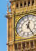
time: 12:24
